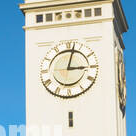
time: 3:02
